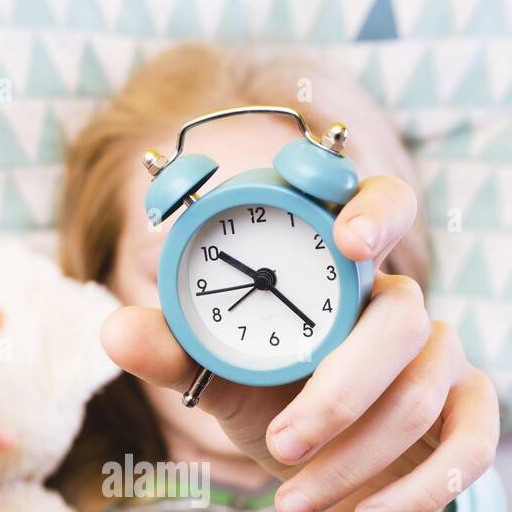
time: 10:23
